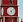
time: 5:08
